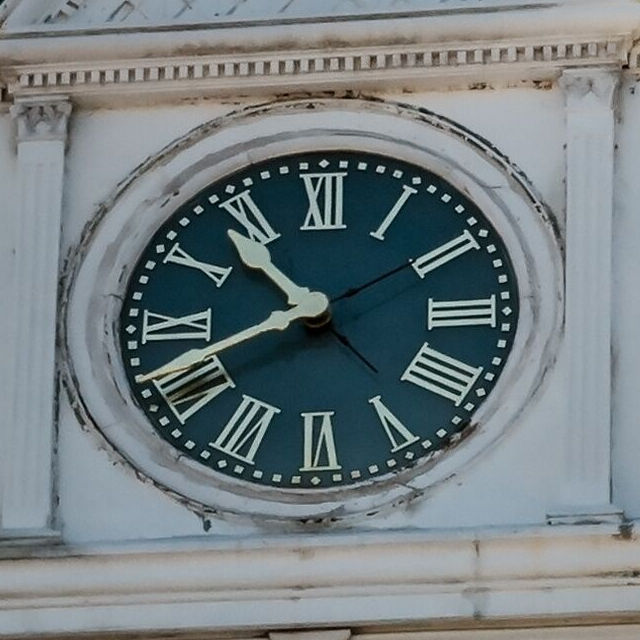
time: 10:41
